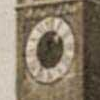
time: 11:35
